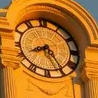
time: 8:24
